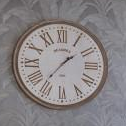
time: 1:36
